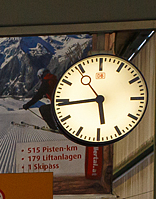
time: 5:44
